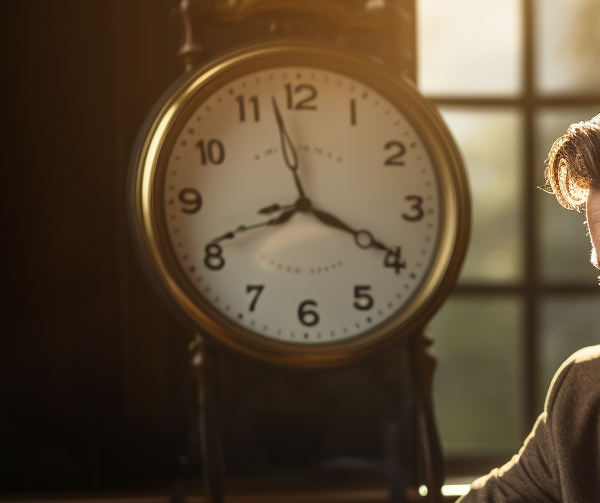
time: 3:57
